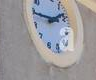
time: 1:44
